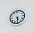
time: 5:30
